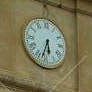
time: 5:33
